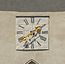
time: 1:39
